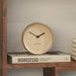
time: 1:50
